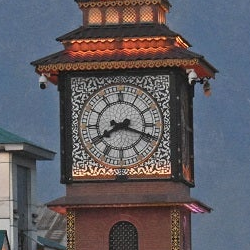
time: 8:18
